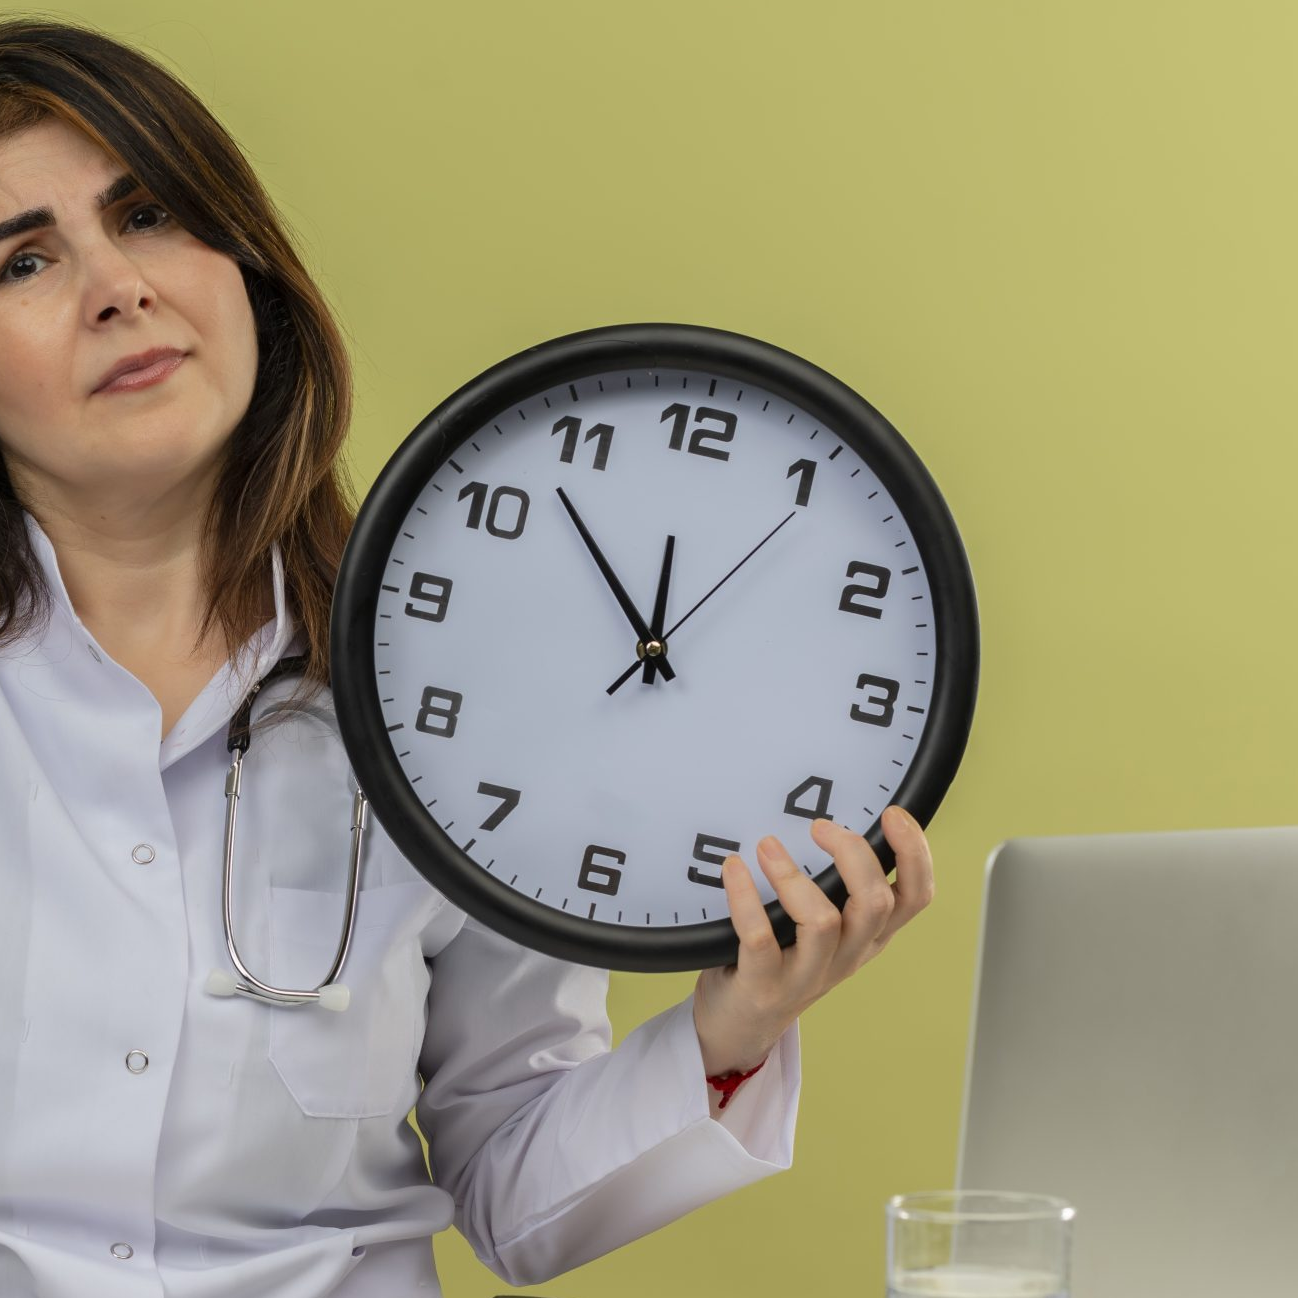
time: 11:52
